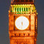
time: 5:31
